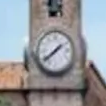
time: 1:38
